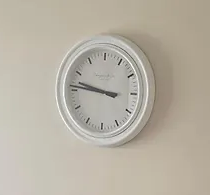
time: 9:46
